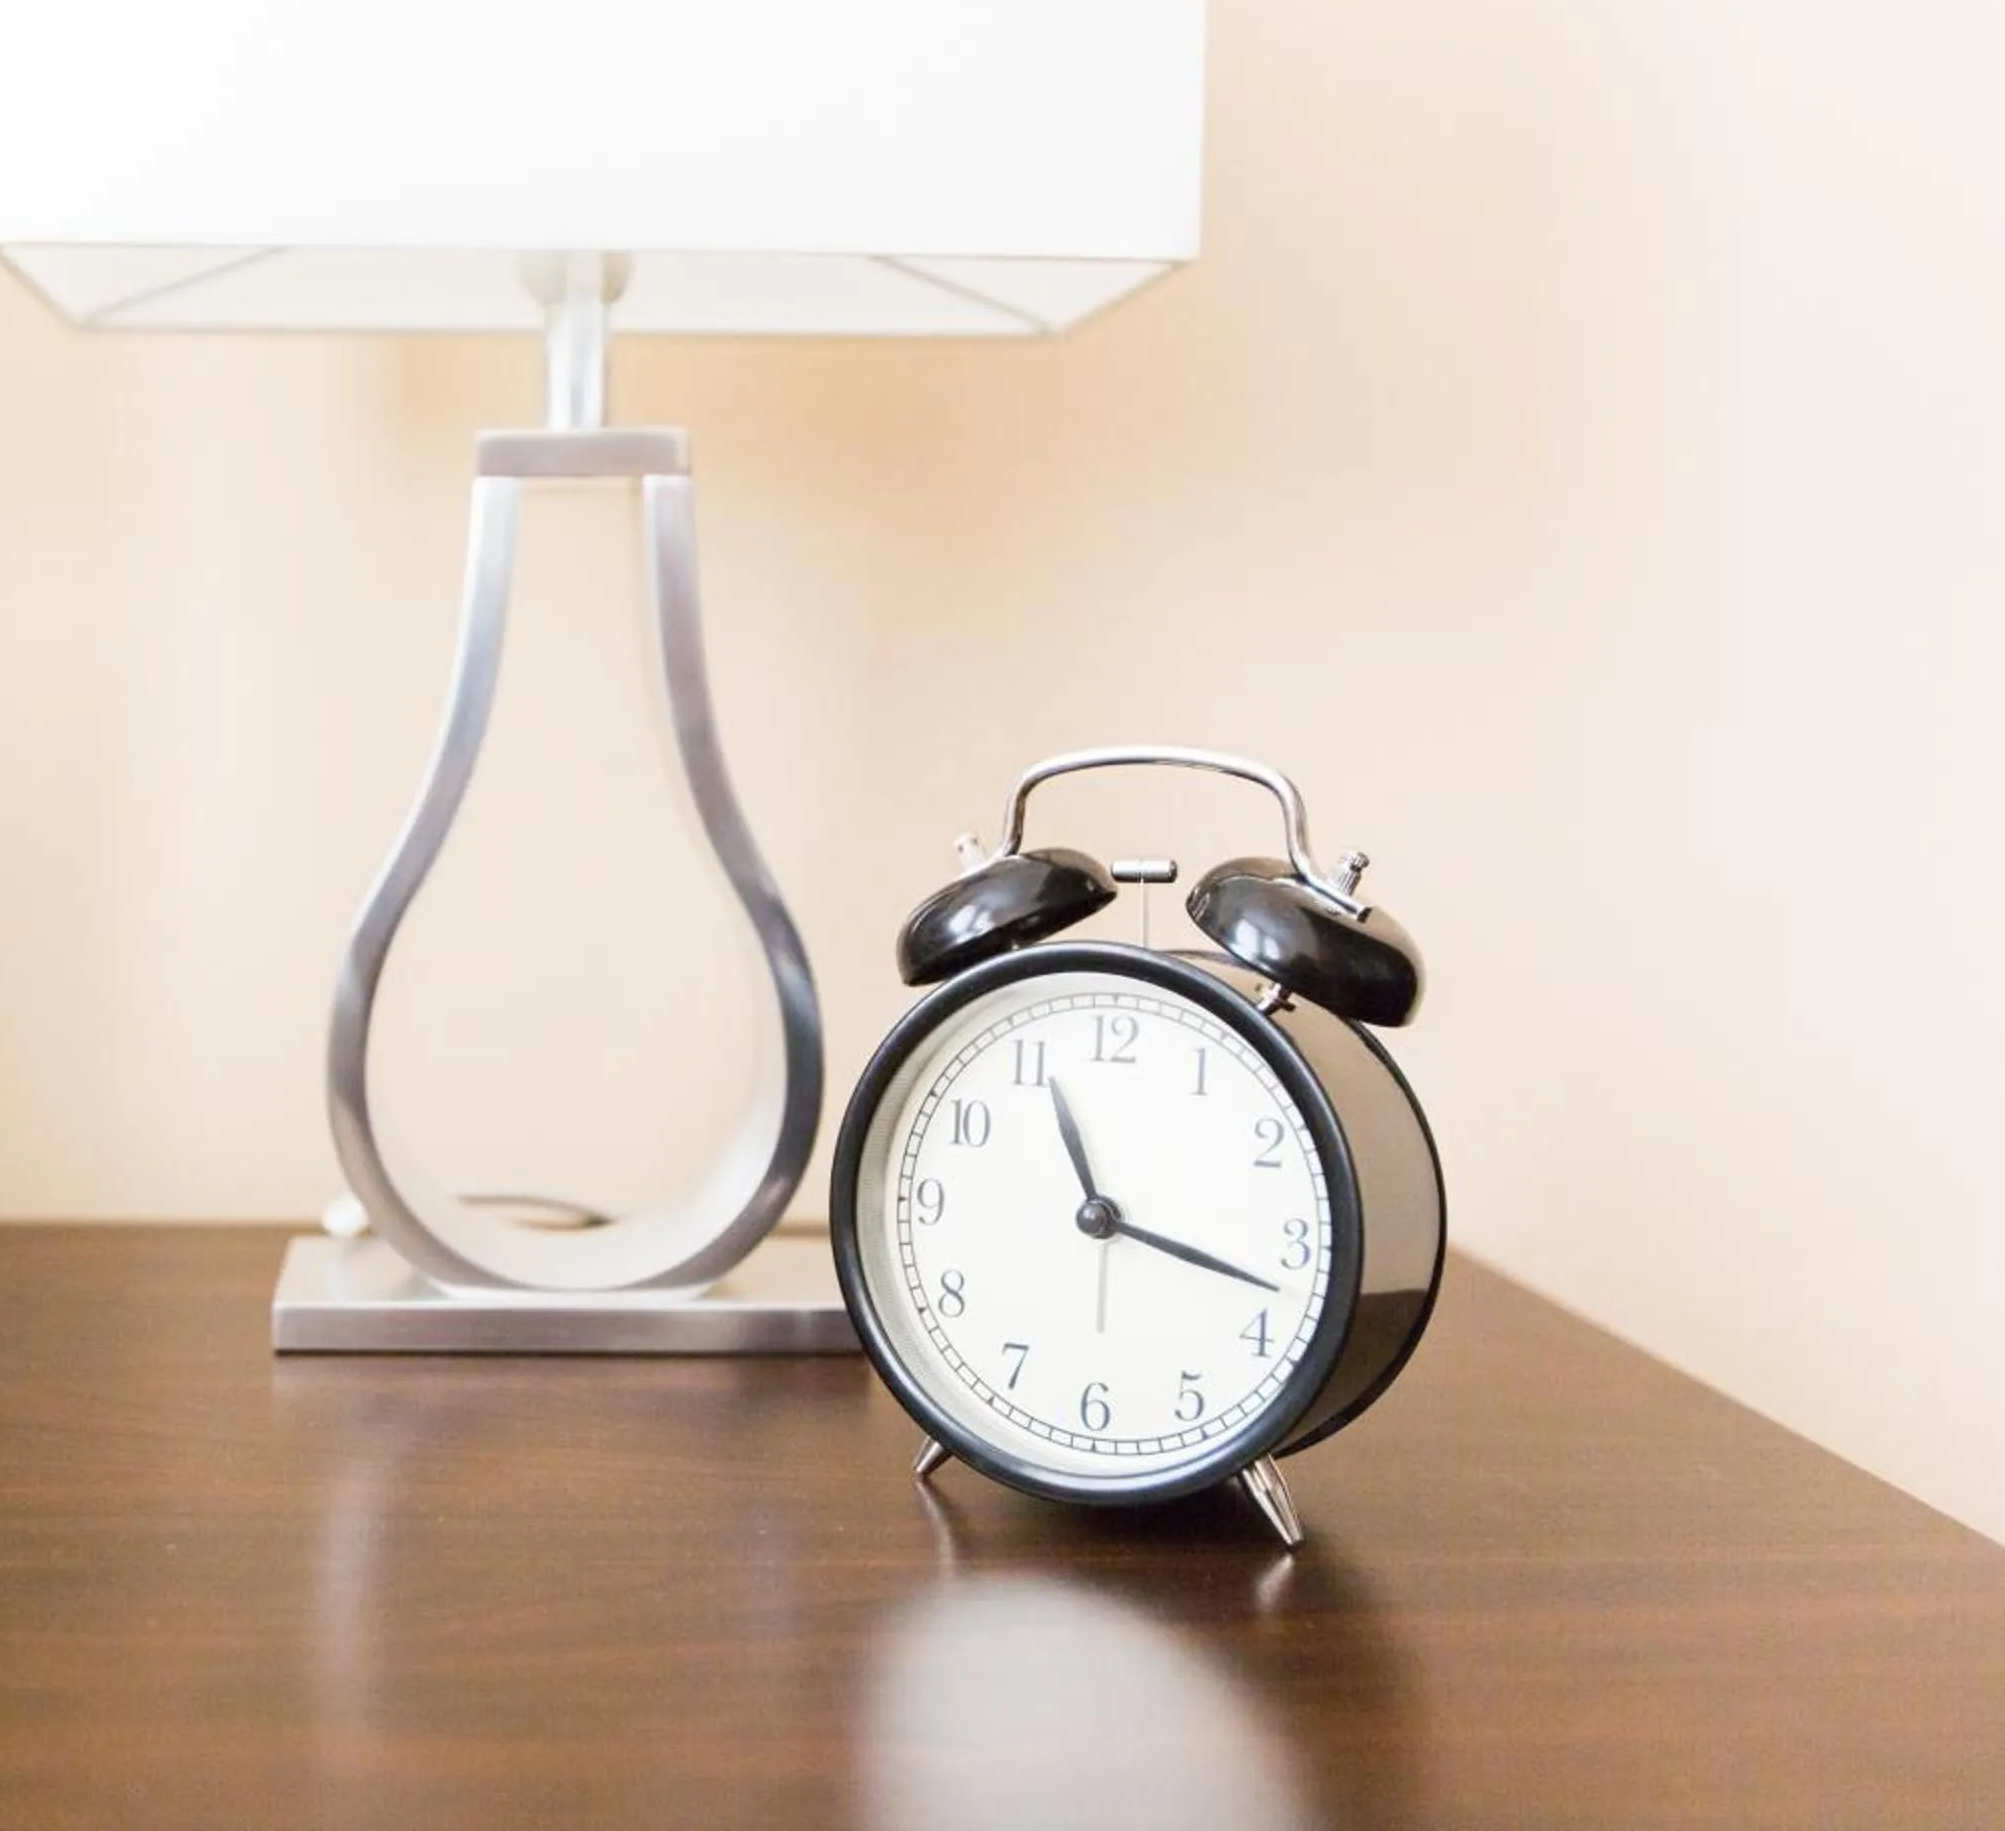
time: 11:17
